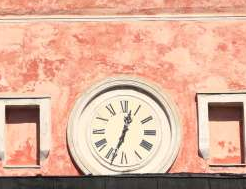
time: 12:33
